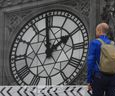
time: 1:59
